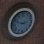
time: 2:48
